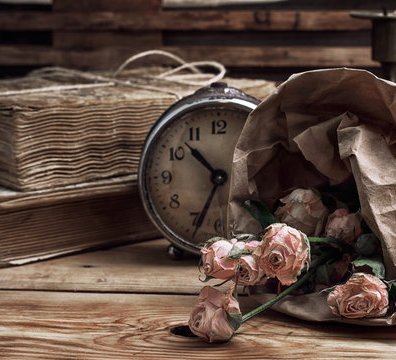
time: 10:34
